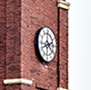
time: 2:21
